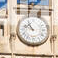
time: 10:47
